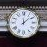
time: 12:07
